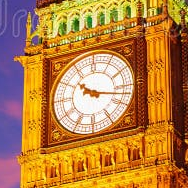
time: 10:17
